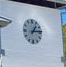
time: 1:13
